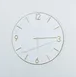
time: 6:14
